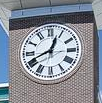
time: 12:41
